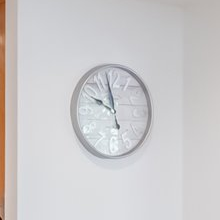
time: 9:57
